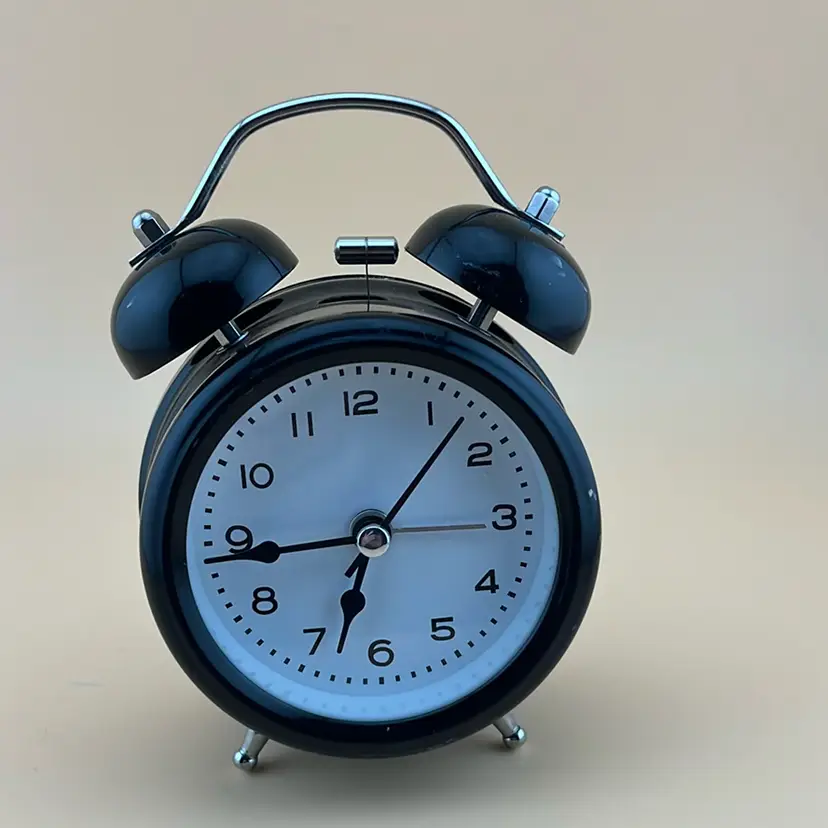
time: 6:44
